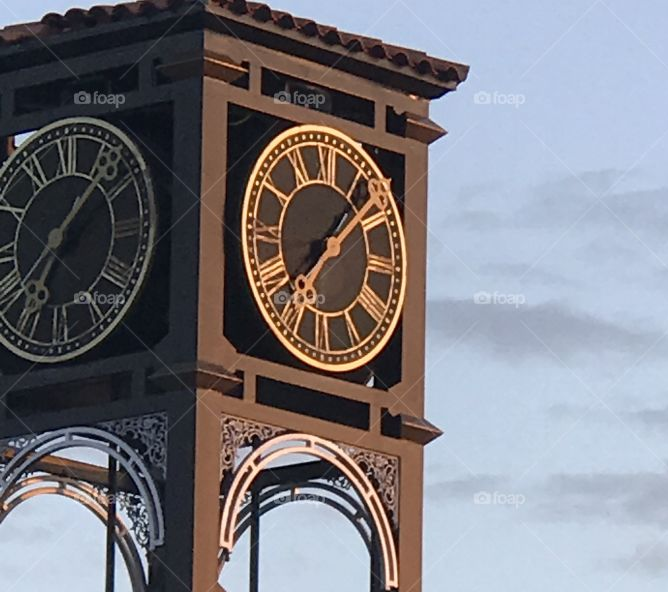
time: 7:07
